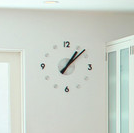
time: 1:08
